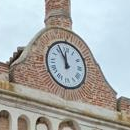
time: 11:55
